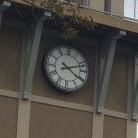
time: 4:12
